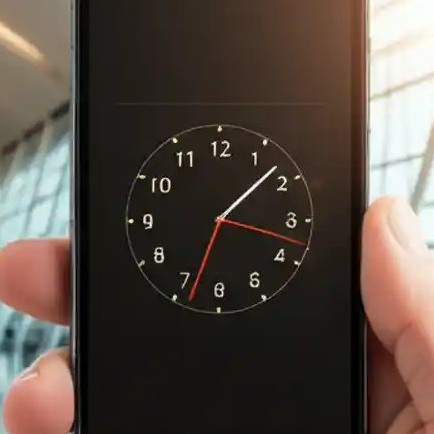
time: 1:33
